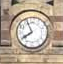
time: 7:55
